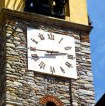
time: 2:44
